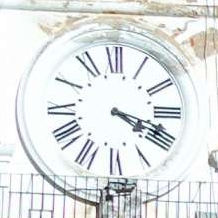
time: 4:18
